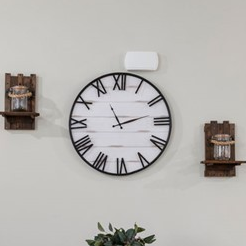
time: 11:12
